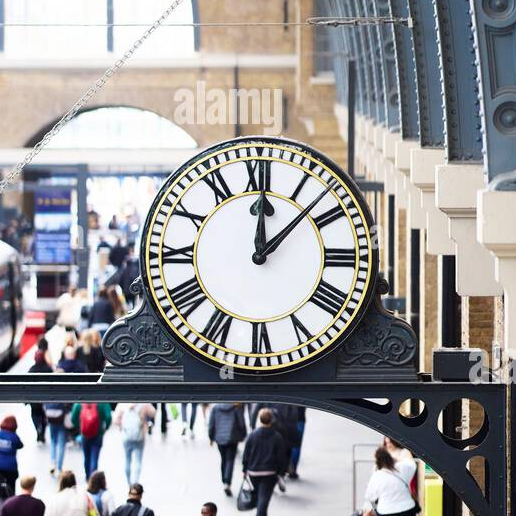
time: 12:07
